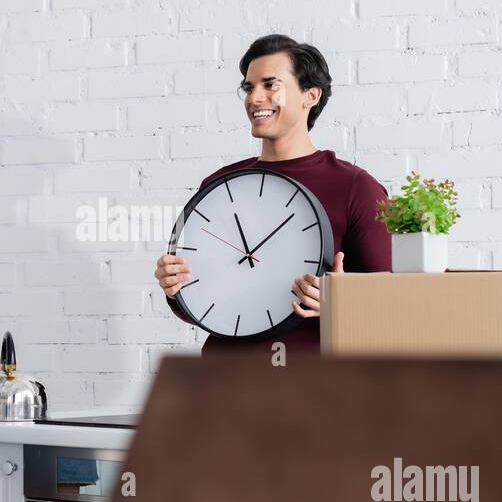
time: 11:07
